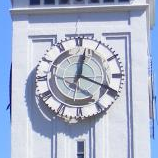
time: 12:18
